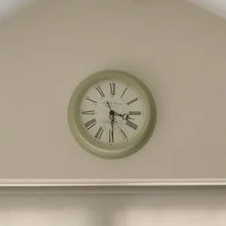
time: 3:29
